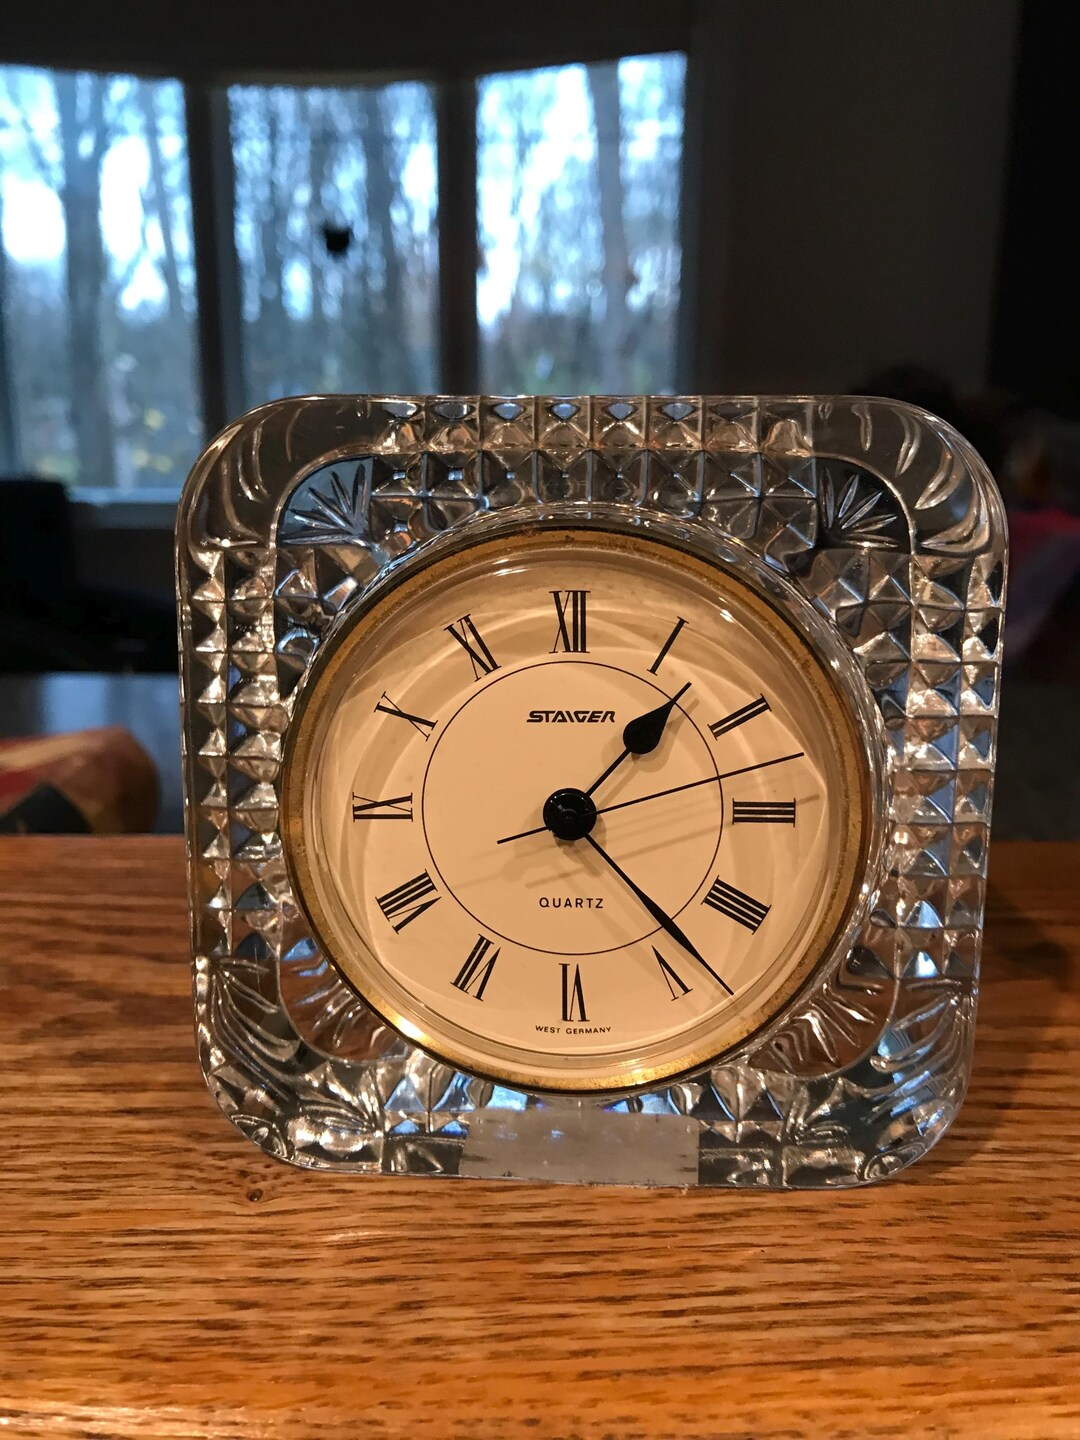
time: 1:23
